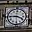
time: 3:45
